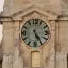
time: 5:24
